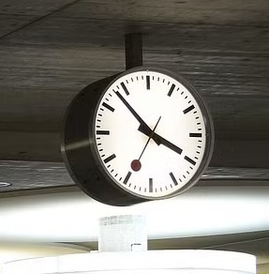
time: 3:53
